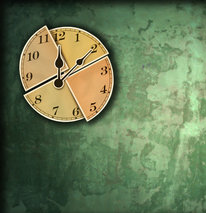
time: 12:09
